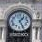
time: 1:25
